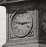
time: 2:47
